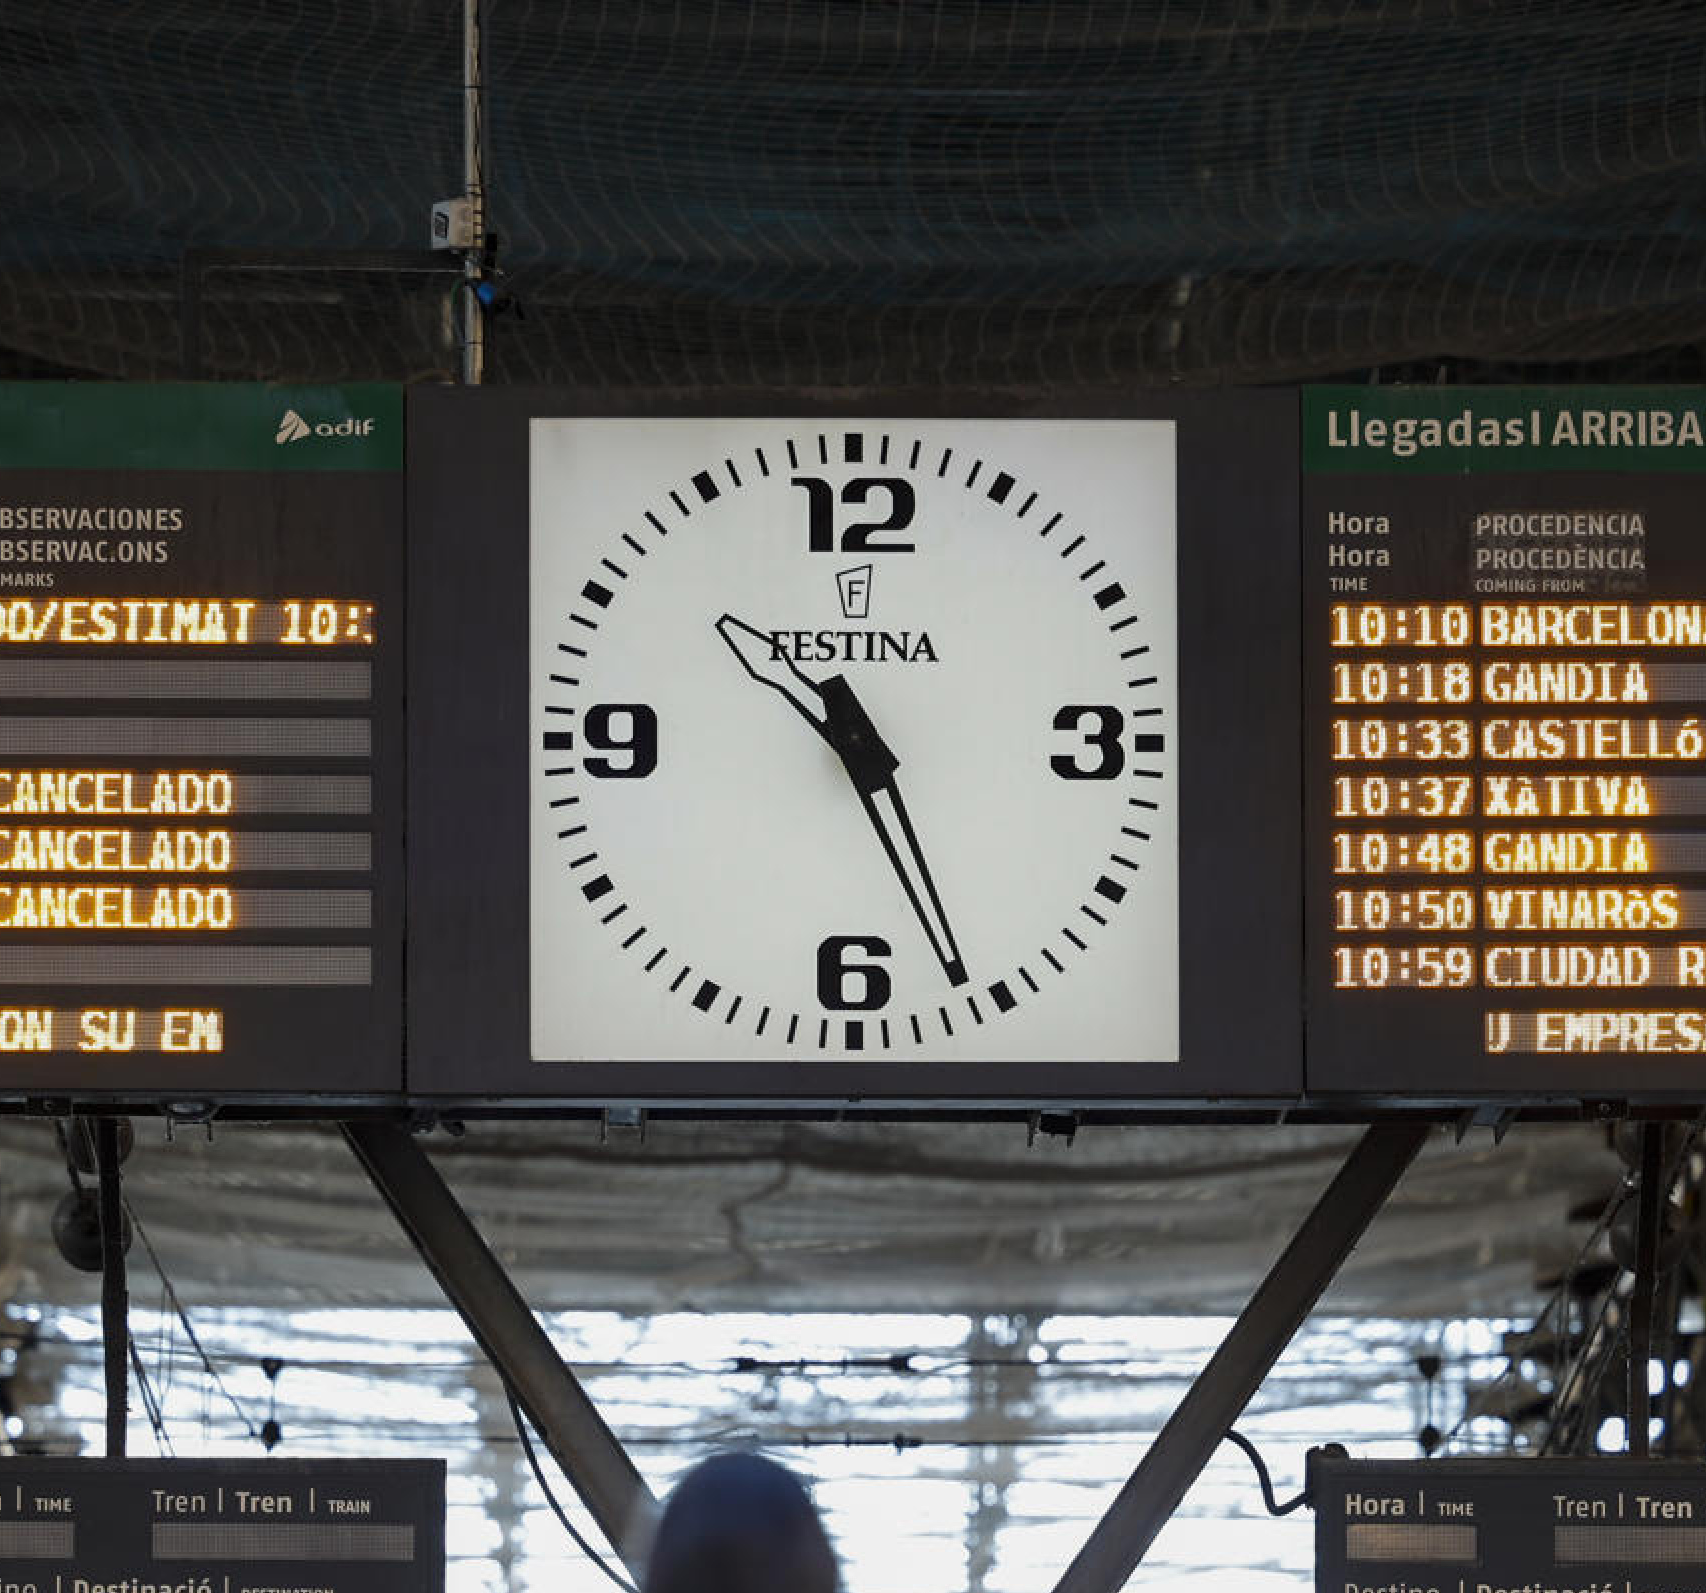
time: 10:26
